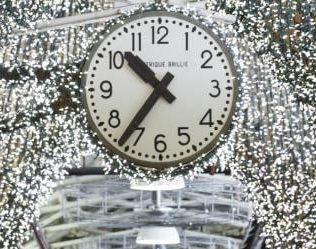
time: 10:36
